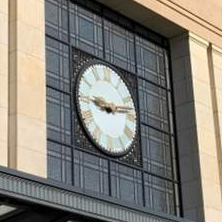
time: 9:13
